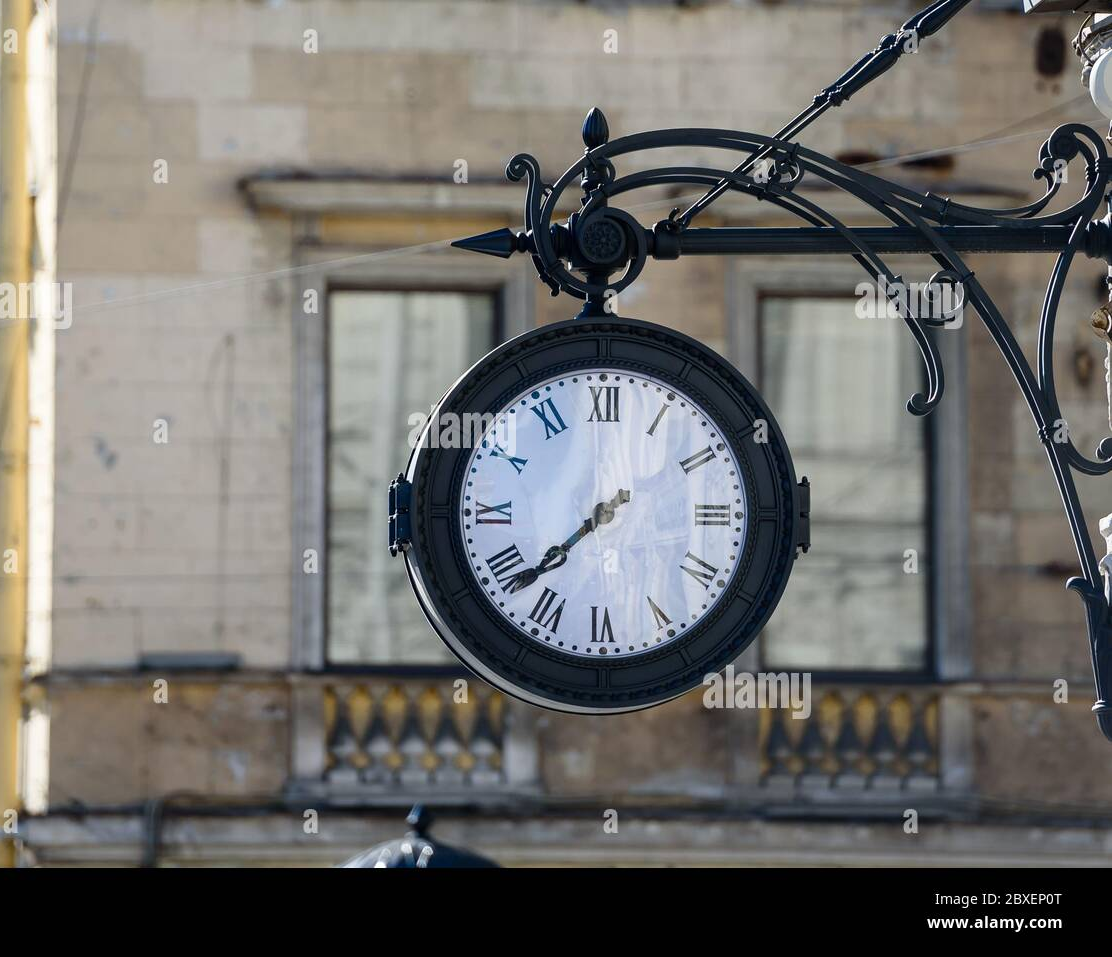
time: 7:37
